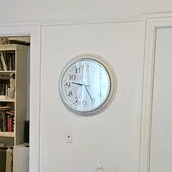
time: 9:25
